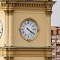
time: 4:20
